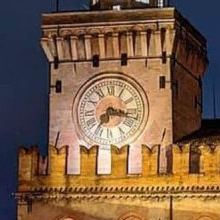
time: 7:17
